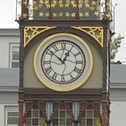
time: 12:52
